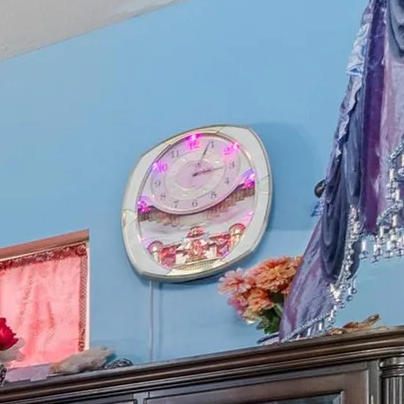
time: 3:03
